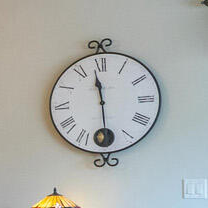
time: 11:28
